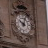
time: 10:02
